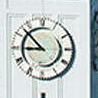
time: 8:52
